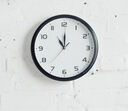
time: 11:00
